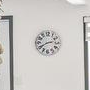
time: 2:40
